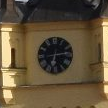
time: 6:14
